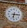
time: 6:15
